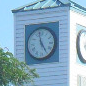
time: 4:57
